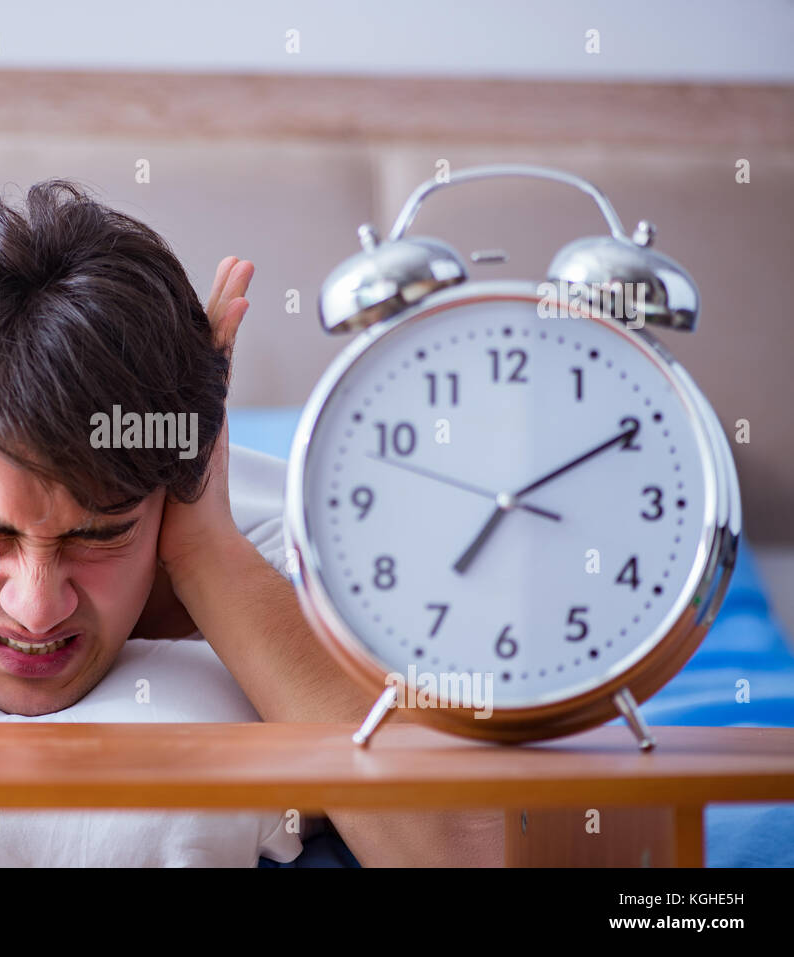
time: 7:10
